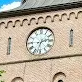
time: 2:33
